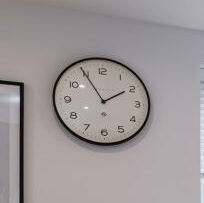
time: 1:54
